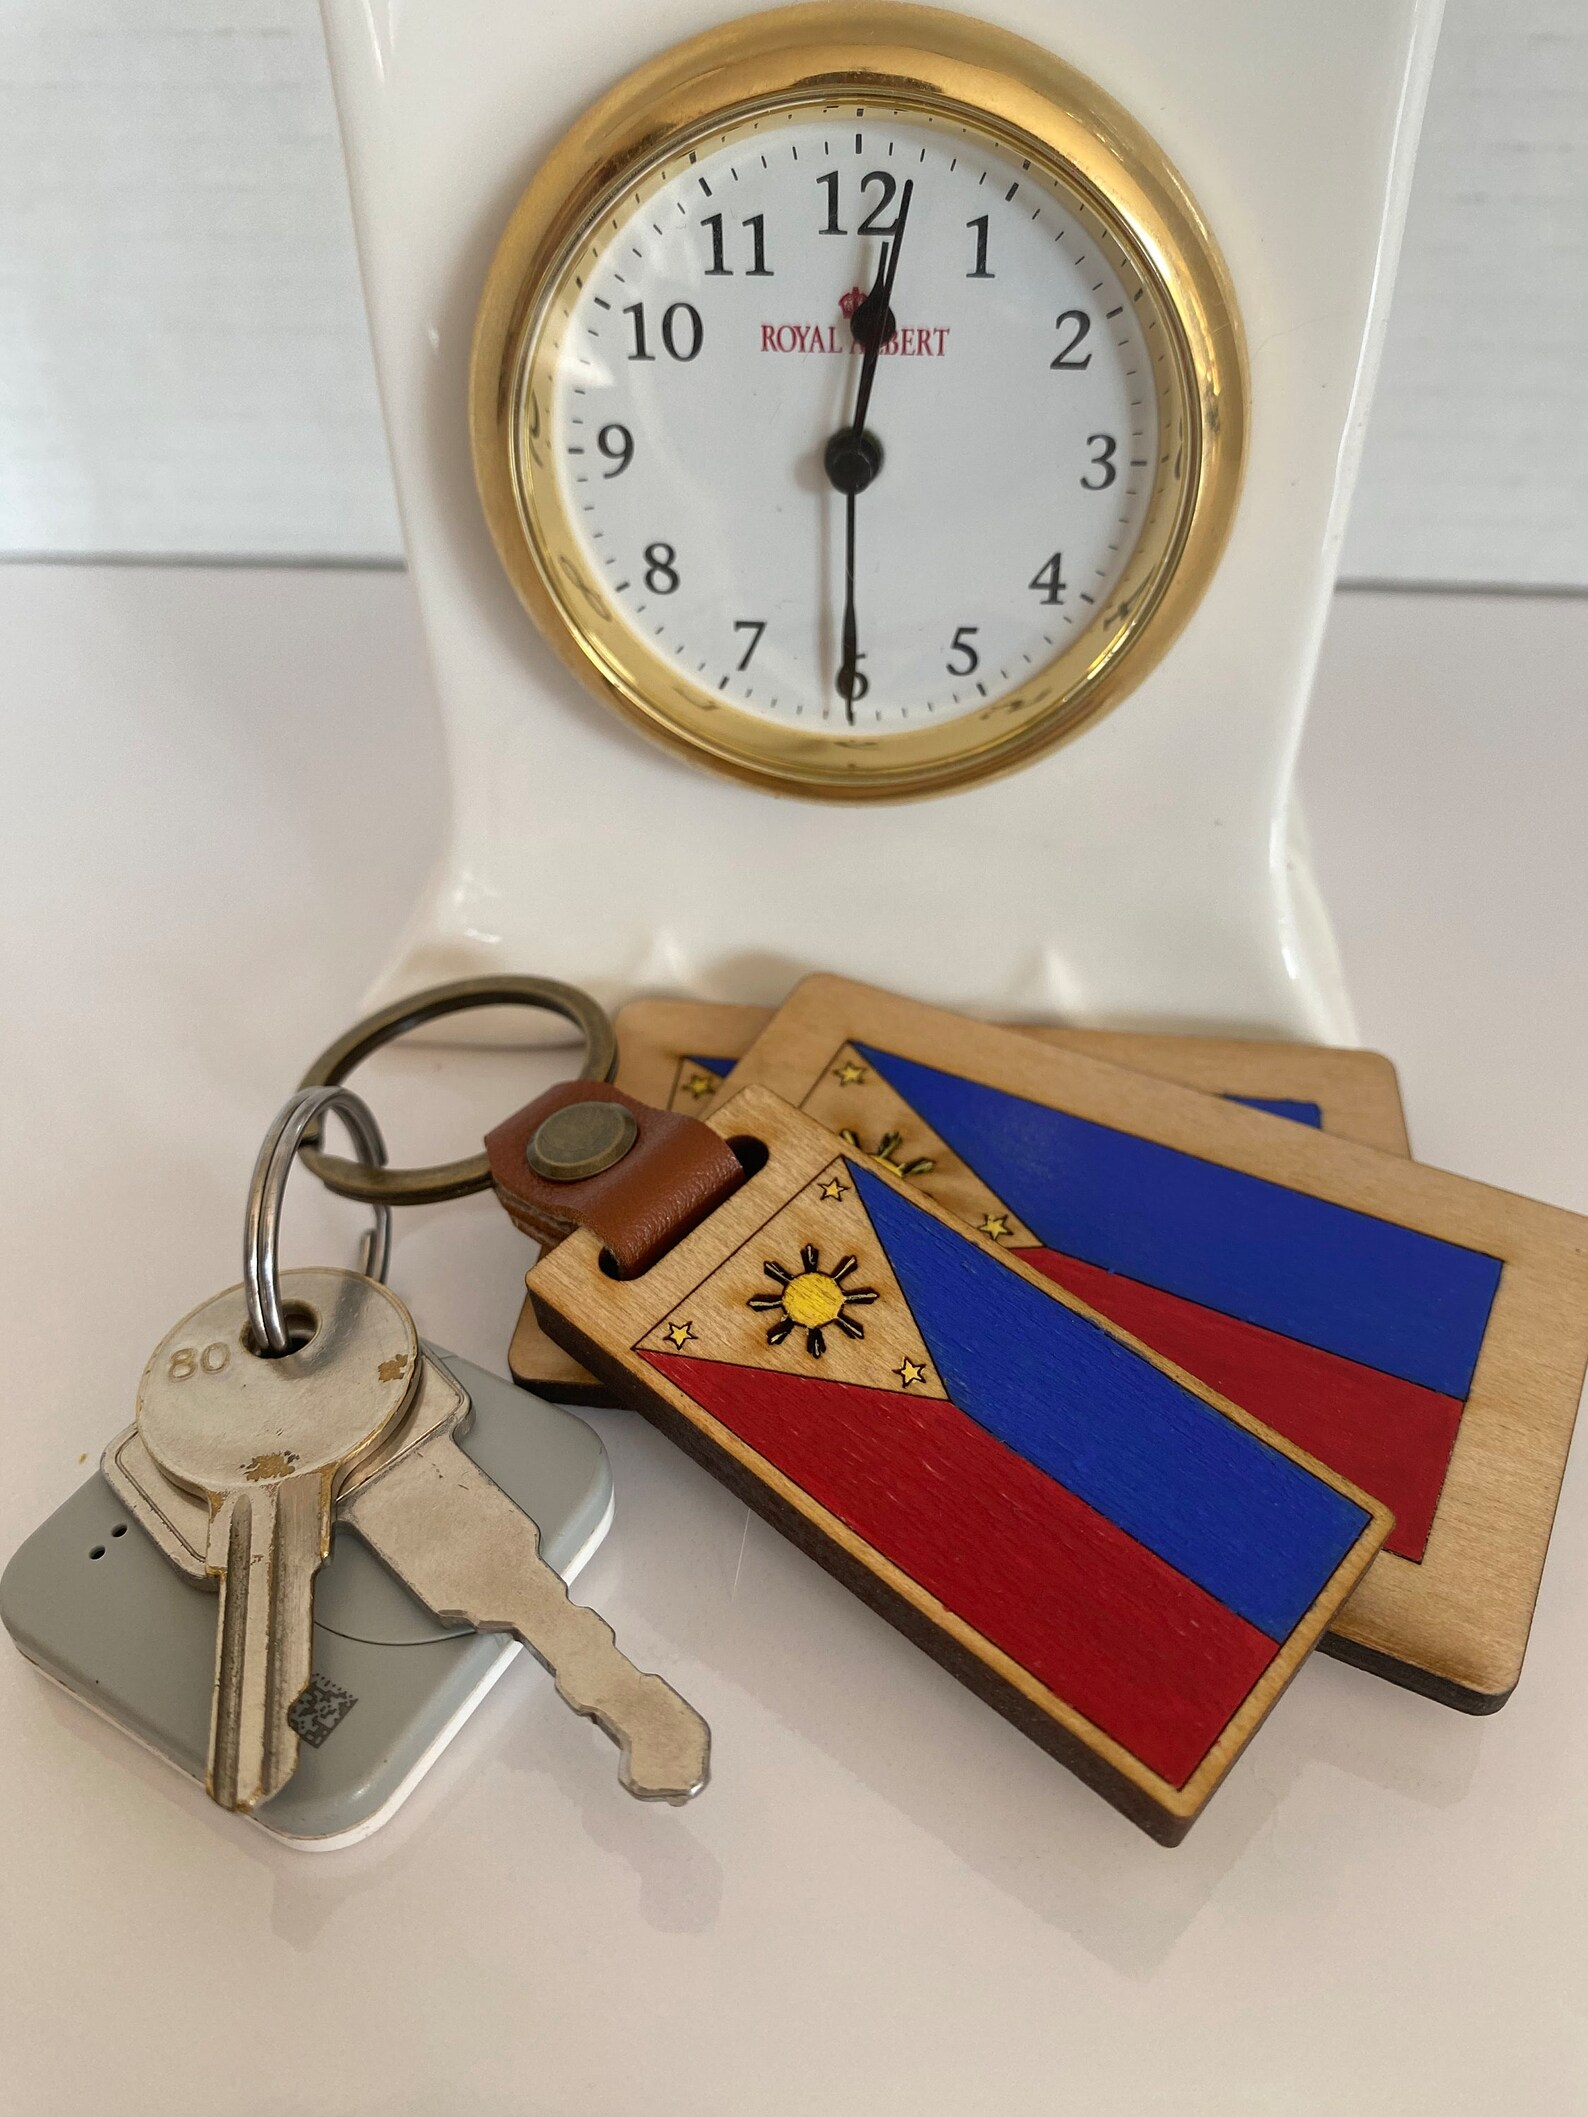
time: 12:01
